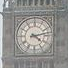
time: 4:12
